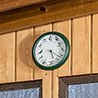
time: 5:21
